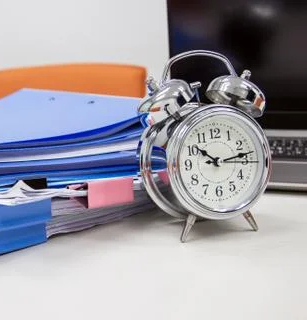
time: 10:13
